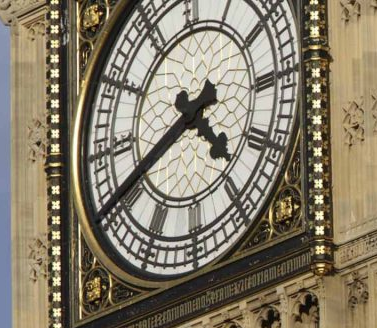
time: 4:40
